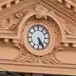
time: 5:24
